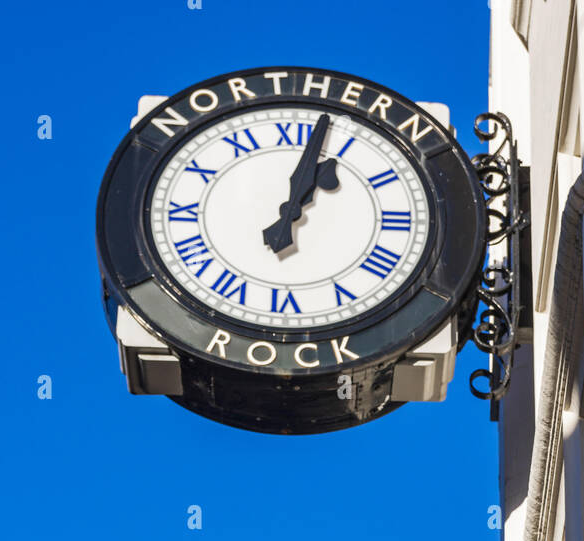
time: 1:02
